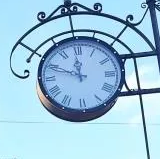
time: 11:48
